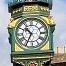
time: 10:34
